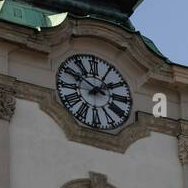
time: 1:50
